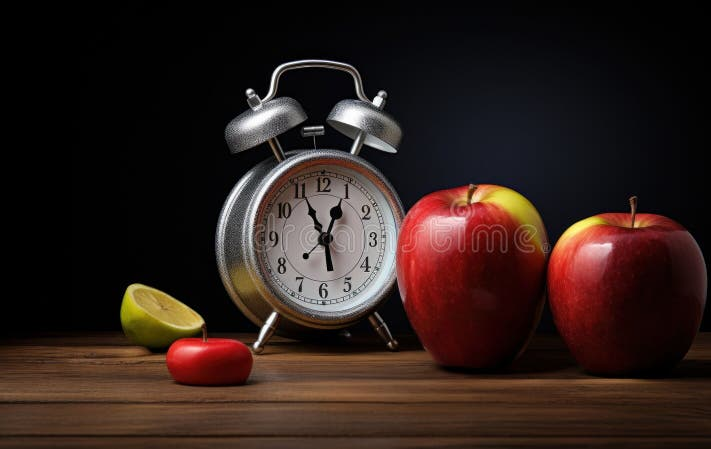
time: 12:55
